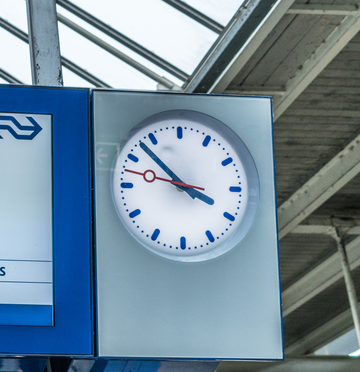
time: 3:52
